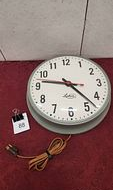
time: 9:22
